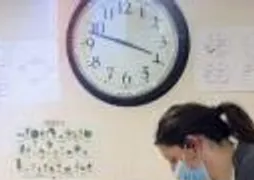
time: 3:47
